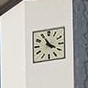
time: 3:54
